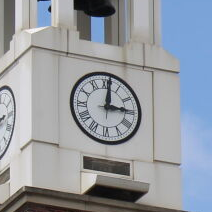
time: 3:01
